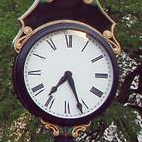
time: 7:26
